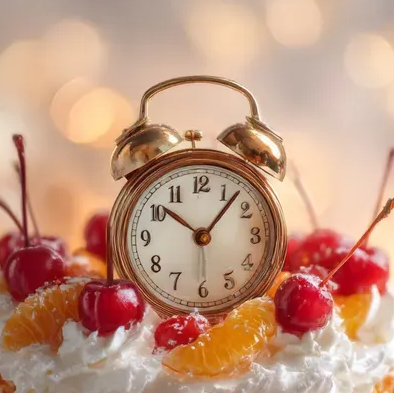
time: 10:07
